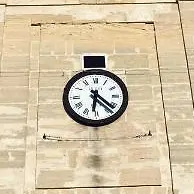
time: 6:21
